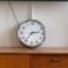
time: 2:36
